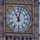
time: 11:02
